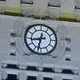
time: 8:32
